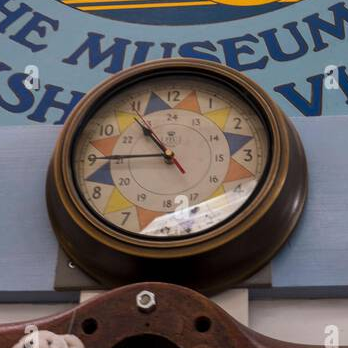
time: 10:45
